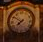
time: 7:50
